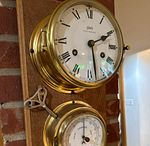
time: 2:28
